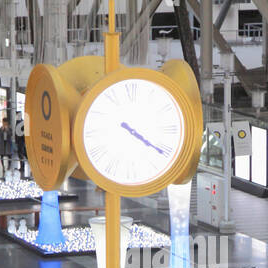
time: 4:20
